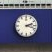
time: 2:18
